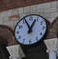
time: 12:55
